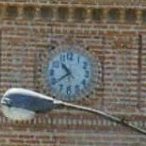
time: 10:38
